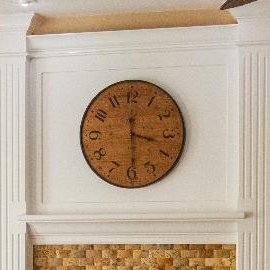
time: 3:29
